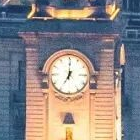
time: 7:00
